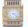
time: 4:13
